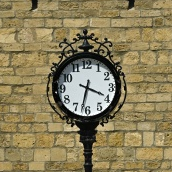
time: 3:32
